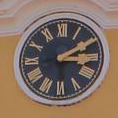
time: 3:10
